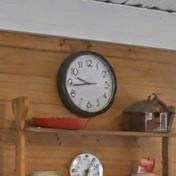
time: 9:43
